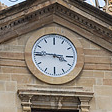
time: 3:45
